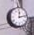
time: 12:12
